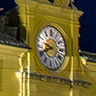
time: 9:41
